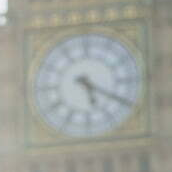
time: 5:19
